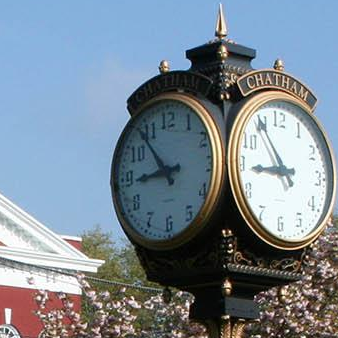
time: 8:53
